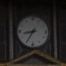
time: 8:35
